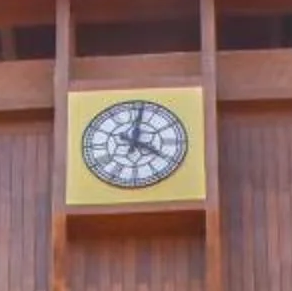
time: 4:02
